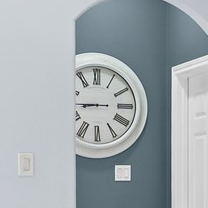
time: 8:45
